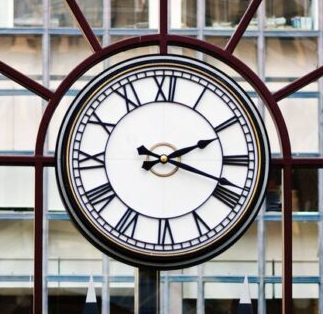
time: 2:18
